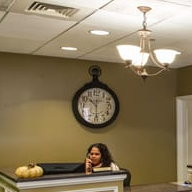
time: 10:30
